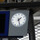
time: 1:27
